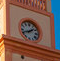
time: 1:41
